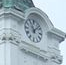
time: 11:07
